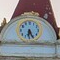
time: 6:25
